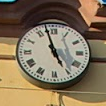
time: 4:57
